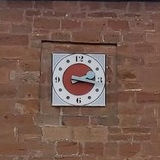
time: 2:17
